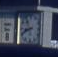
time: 8:41
